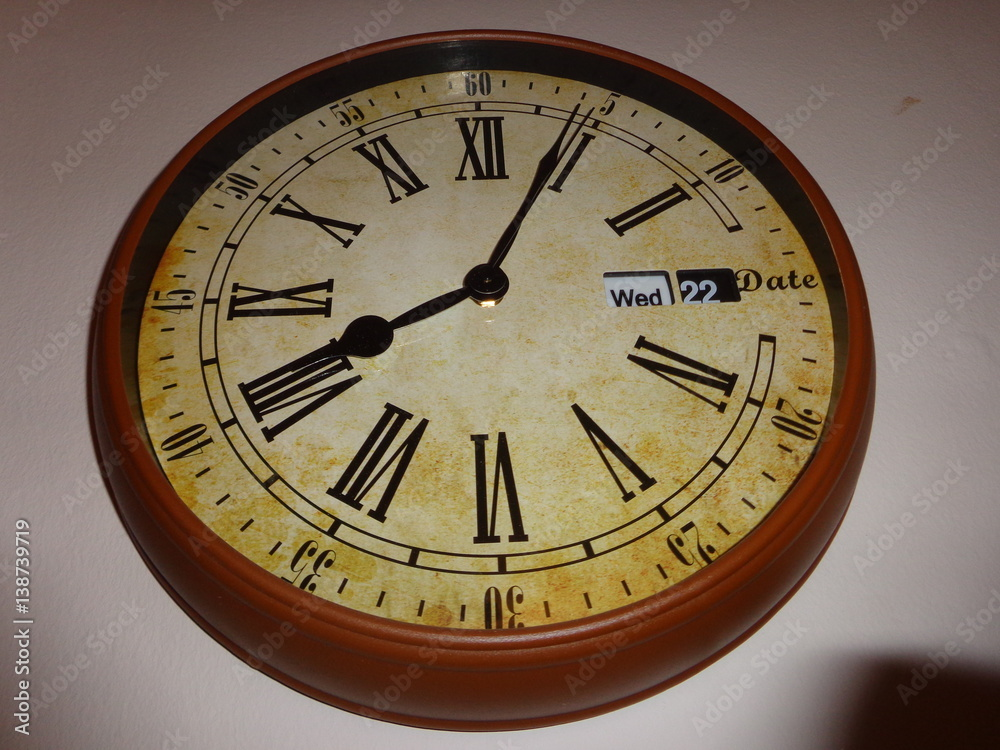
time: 8:04
